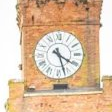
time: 5:20
